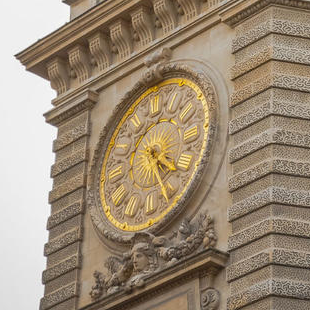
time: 3:22
